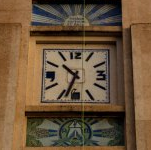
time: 10:34
